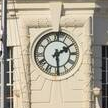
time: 2:29
